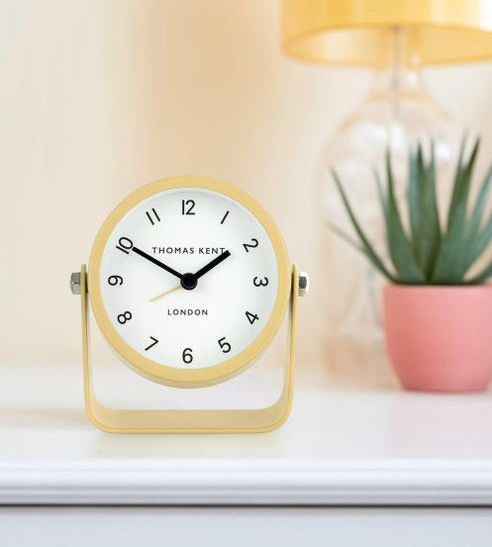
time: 1:50
